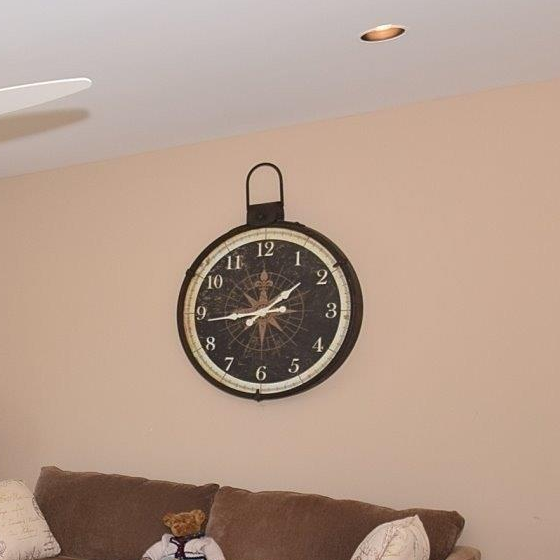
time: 1:43
